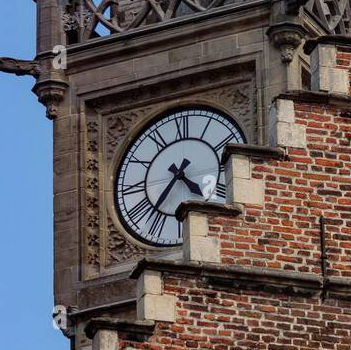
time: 4:36
